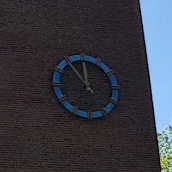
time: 11:53
